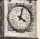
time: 4:02
